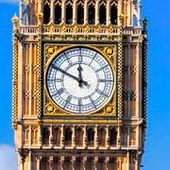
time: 11:49
